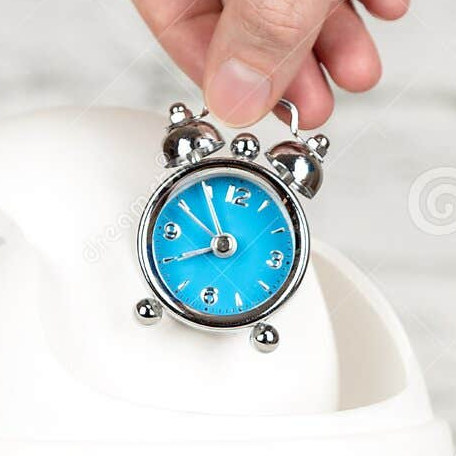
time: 7:54
